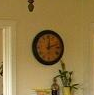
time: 12:12
